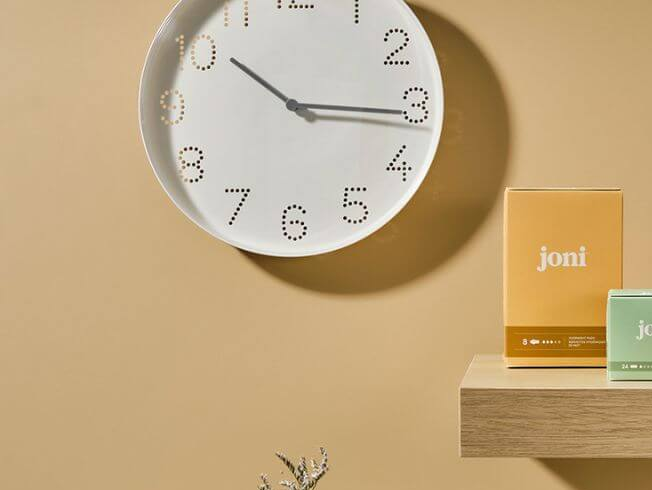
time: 10:15
